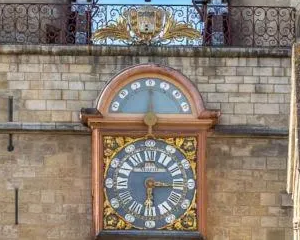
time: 6:15
